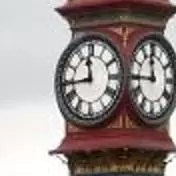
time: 11:44
